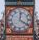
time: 12:20
